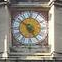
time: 4:51
